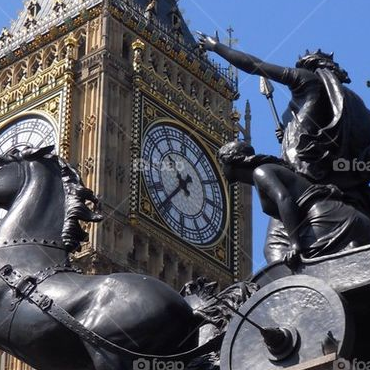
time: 10:36
